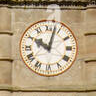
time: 10:02
